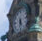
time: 5:32
